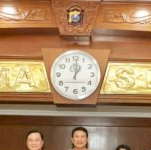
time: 1:00
